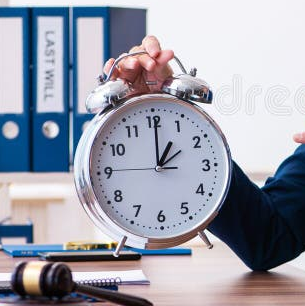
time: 1:00
